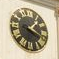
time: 1:18
